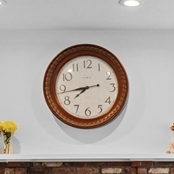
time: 7:43
